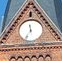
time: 11:35
